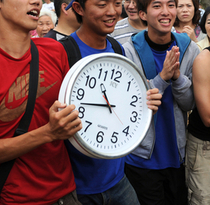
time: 10:42
